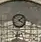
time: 4:07
